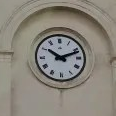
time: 10:11
